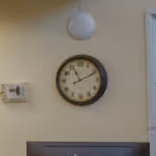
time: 11:11
